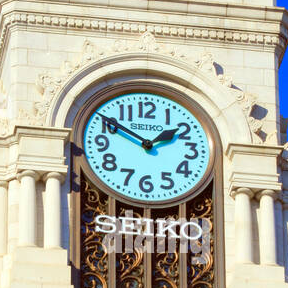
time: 1:50
